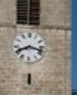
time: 8:17
